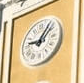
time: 9:07
